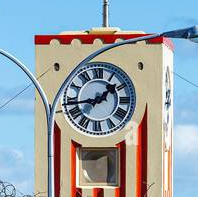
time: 1:43
